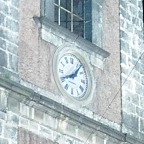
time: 8:06
